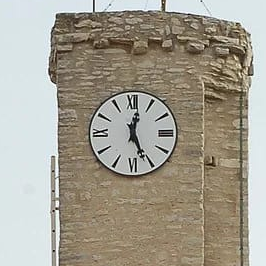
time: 12:26
